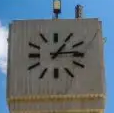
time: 1:13
